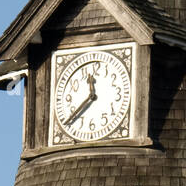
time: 11:38
